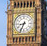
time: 8:34
